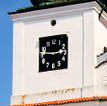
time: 2:46
